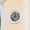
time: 7:01
